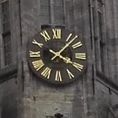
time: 4:07
